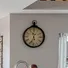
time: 11:34
